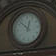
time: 12:52
